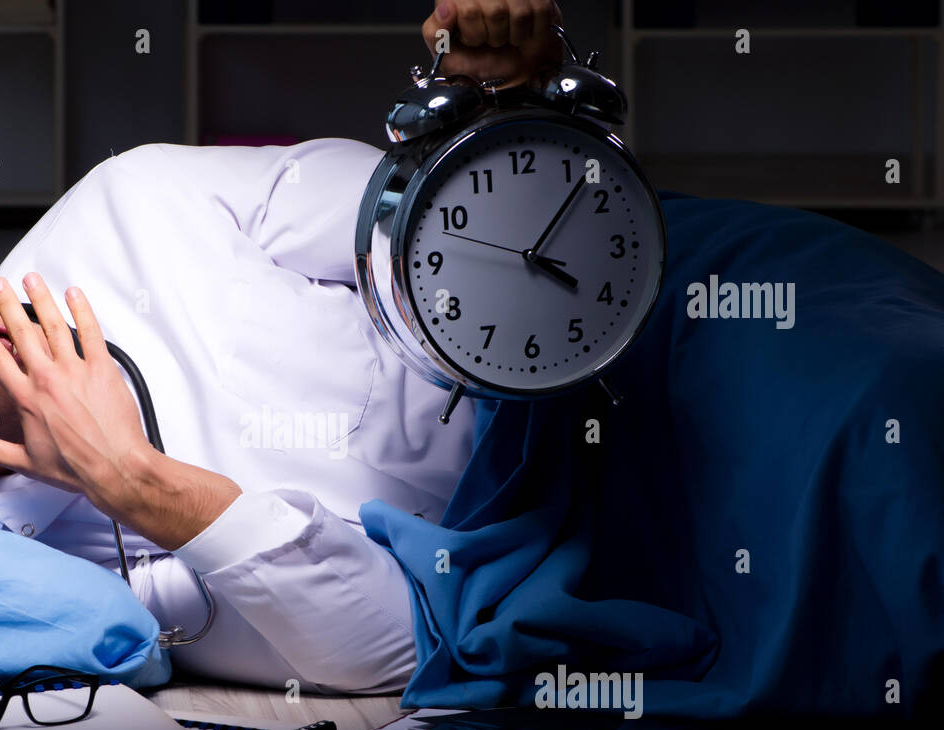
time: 4:06
